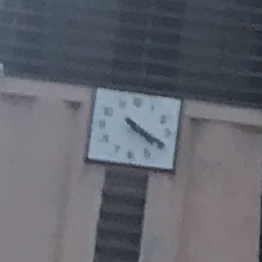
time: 4:19
